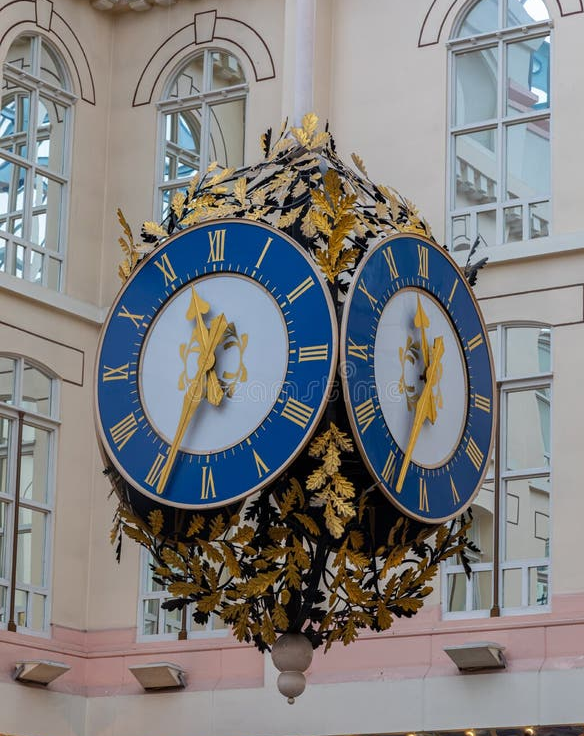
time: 11:34
